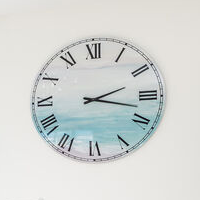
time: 2:17
